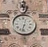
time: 12:32
